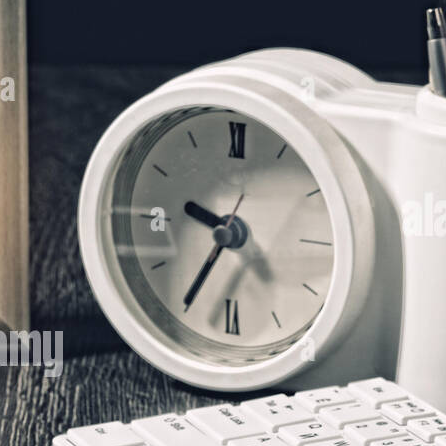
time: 9:35
